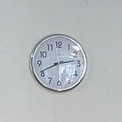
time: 2:41
